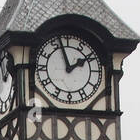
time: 1:57
